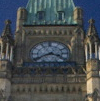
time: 3:40
